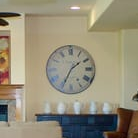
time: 1:34
